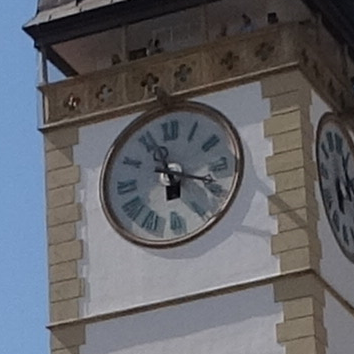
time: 11:18
